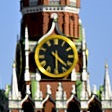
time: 4:29
